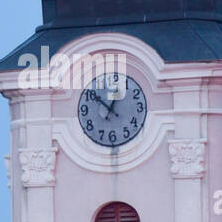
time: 12:51
